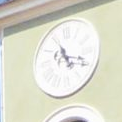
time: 11:17
